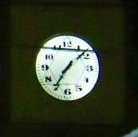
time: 7:08
